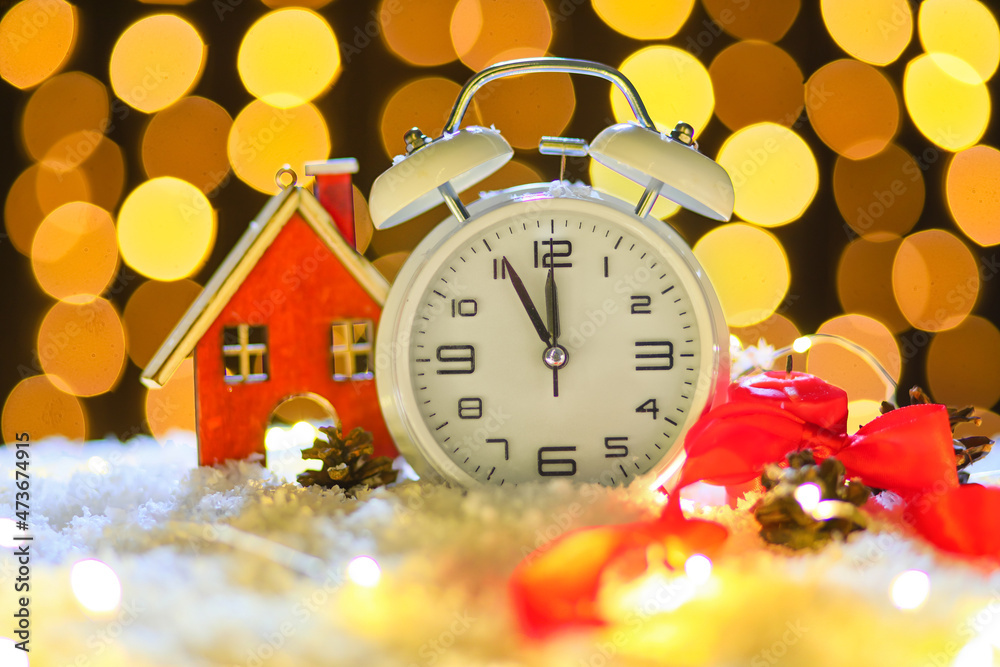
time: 11:55
